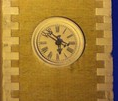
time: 5:51
